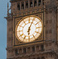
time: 6:03
